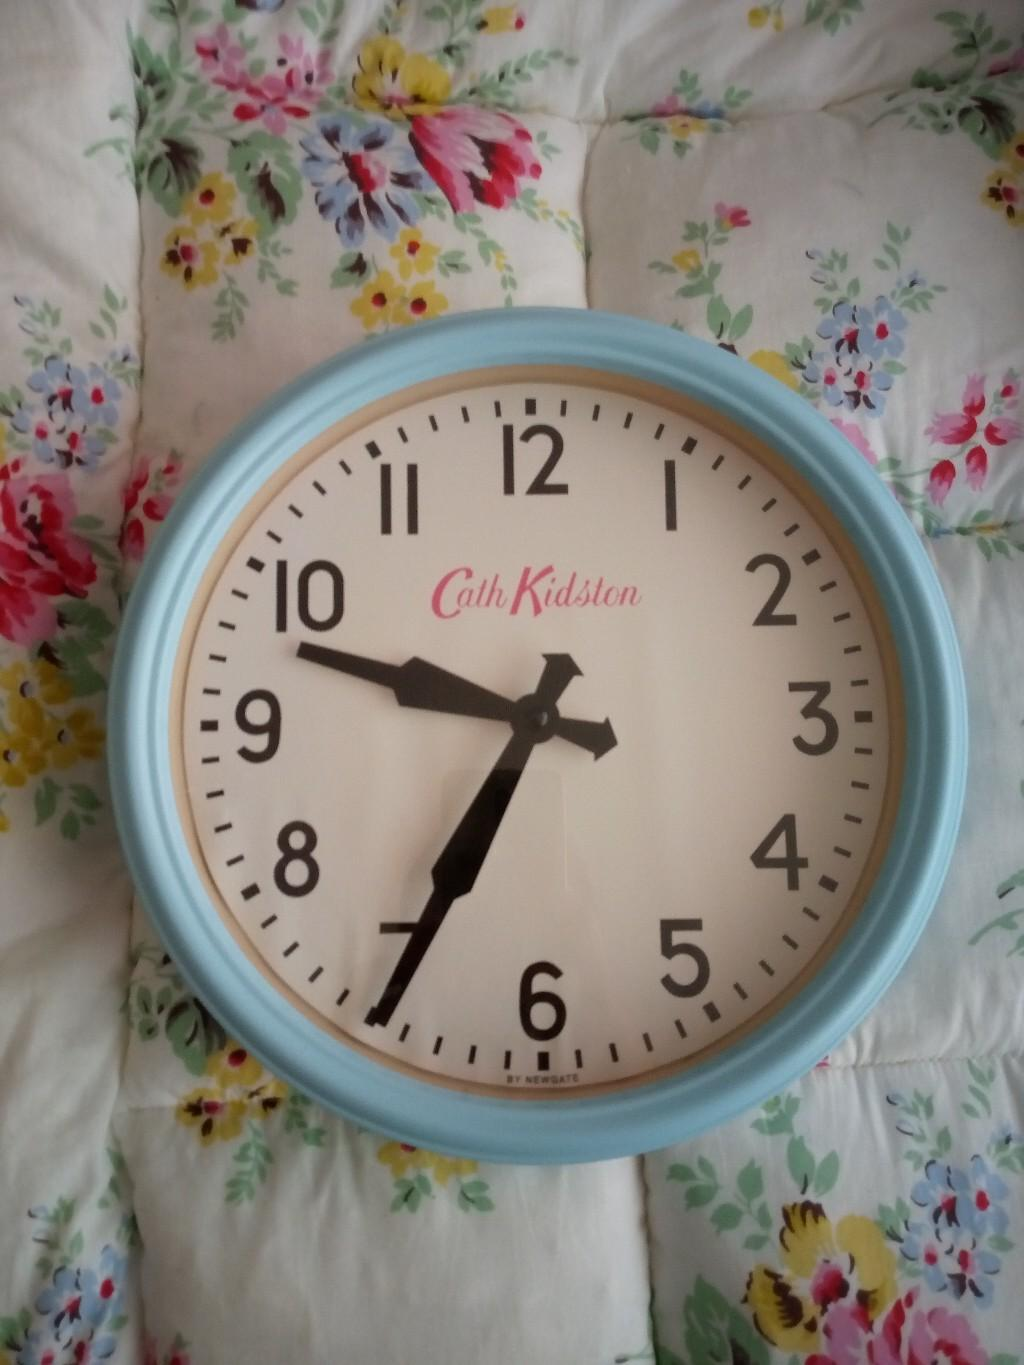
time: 9:34
